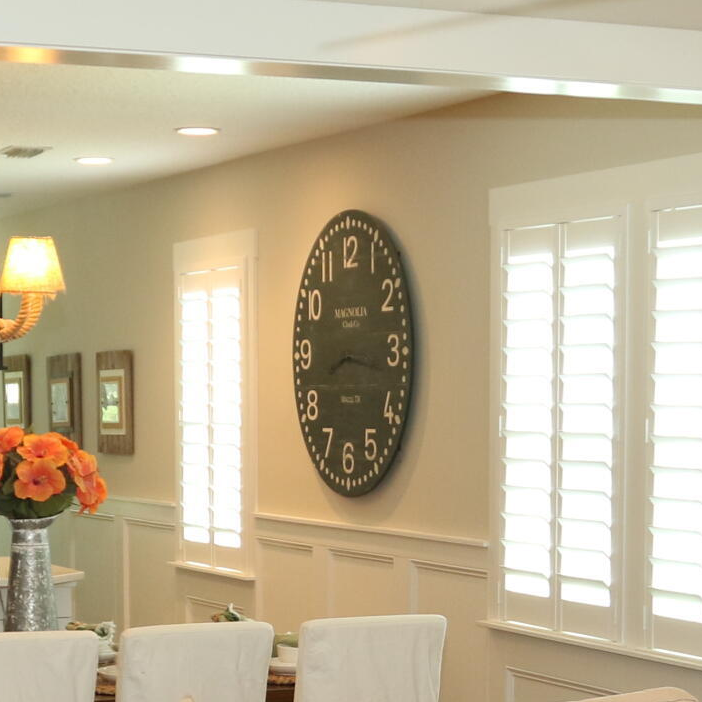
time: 8:16
